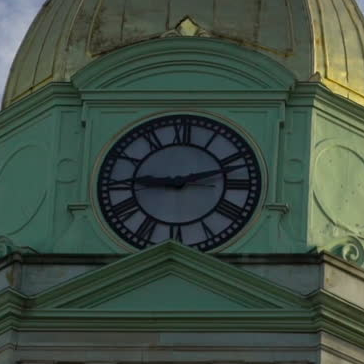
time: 9:12
